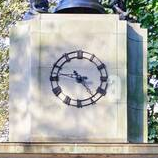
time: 4:46
